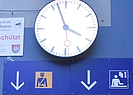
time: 3:57
